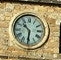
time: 10:31
